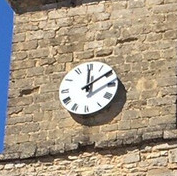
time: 12:09
